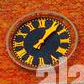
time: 1:07
